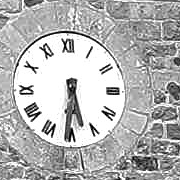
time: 5:31
